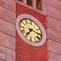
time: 7:15
